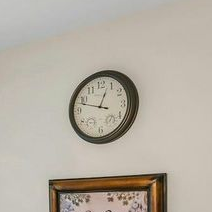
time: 12:47
